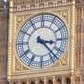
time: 3:22
